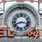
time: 8:16
